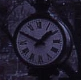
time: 1:49
